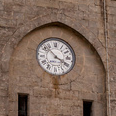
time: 3:52
